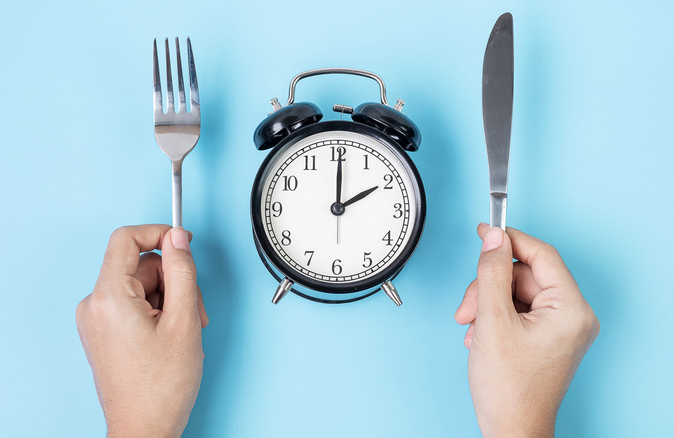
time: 2:00
